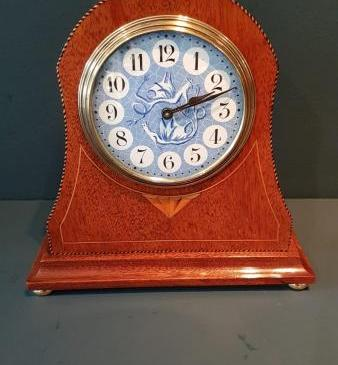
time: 2:11
